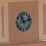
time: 11:12
